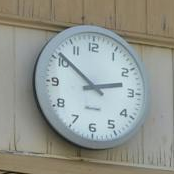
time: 2:51
